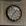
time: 7:07
